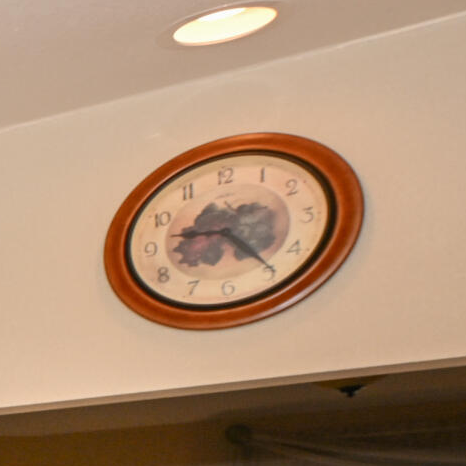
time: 9:23
